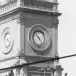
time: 4:52
